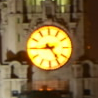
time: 4:44
